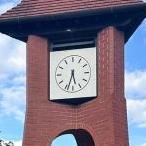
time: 5:33
